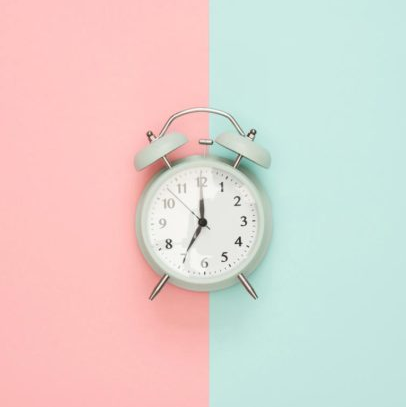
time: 7:00
